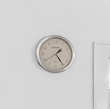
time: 1:24
